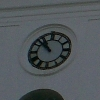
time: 10:52
